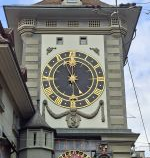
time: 11:57
